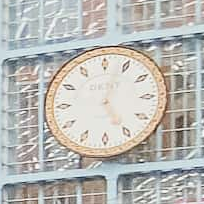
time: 5:02
